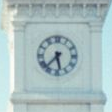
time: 5:37
